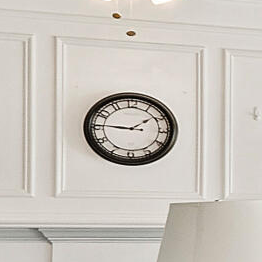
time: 1:45
